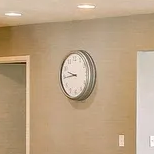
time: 9:44
